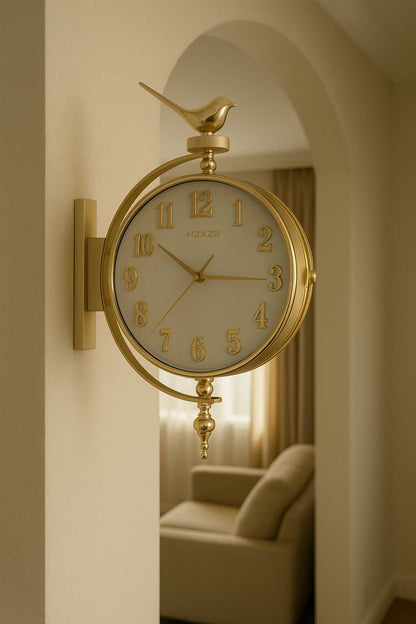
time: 10:15
